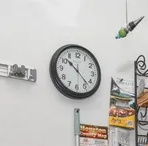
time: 10:22
